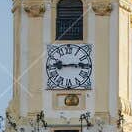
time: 9:14
